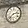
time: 2:38
